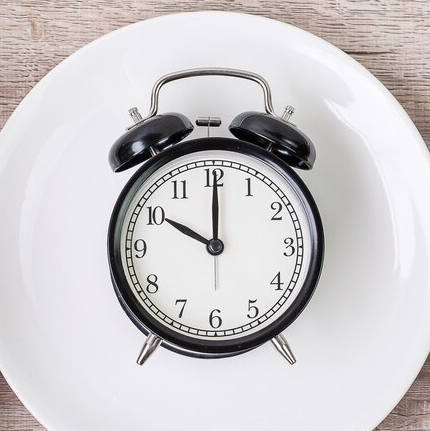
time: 10:00
